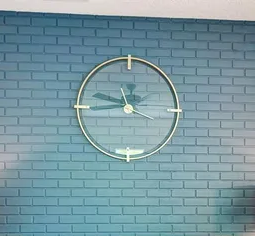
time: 9:44
